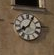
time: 8:04
